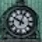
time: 10:03
